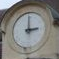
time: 2:59
